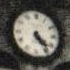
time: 4:23
